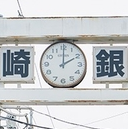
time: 2:00
